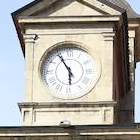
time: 5:54
